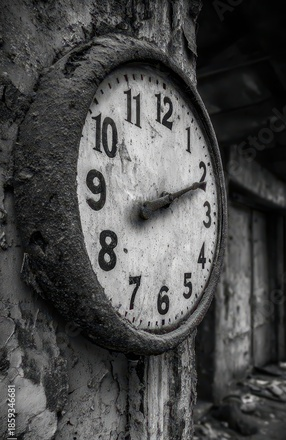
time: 8:11
